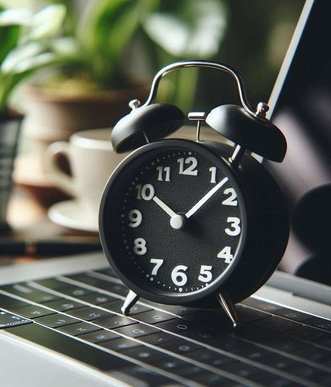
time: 10:07
